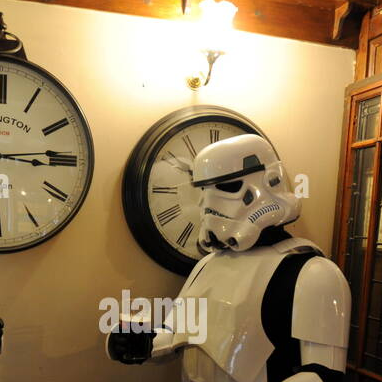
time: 3:12
